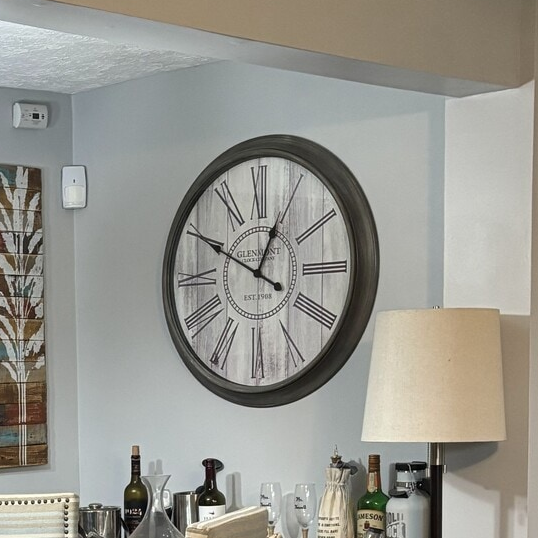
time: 12:49
